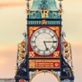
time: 5:14
